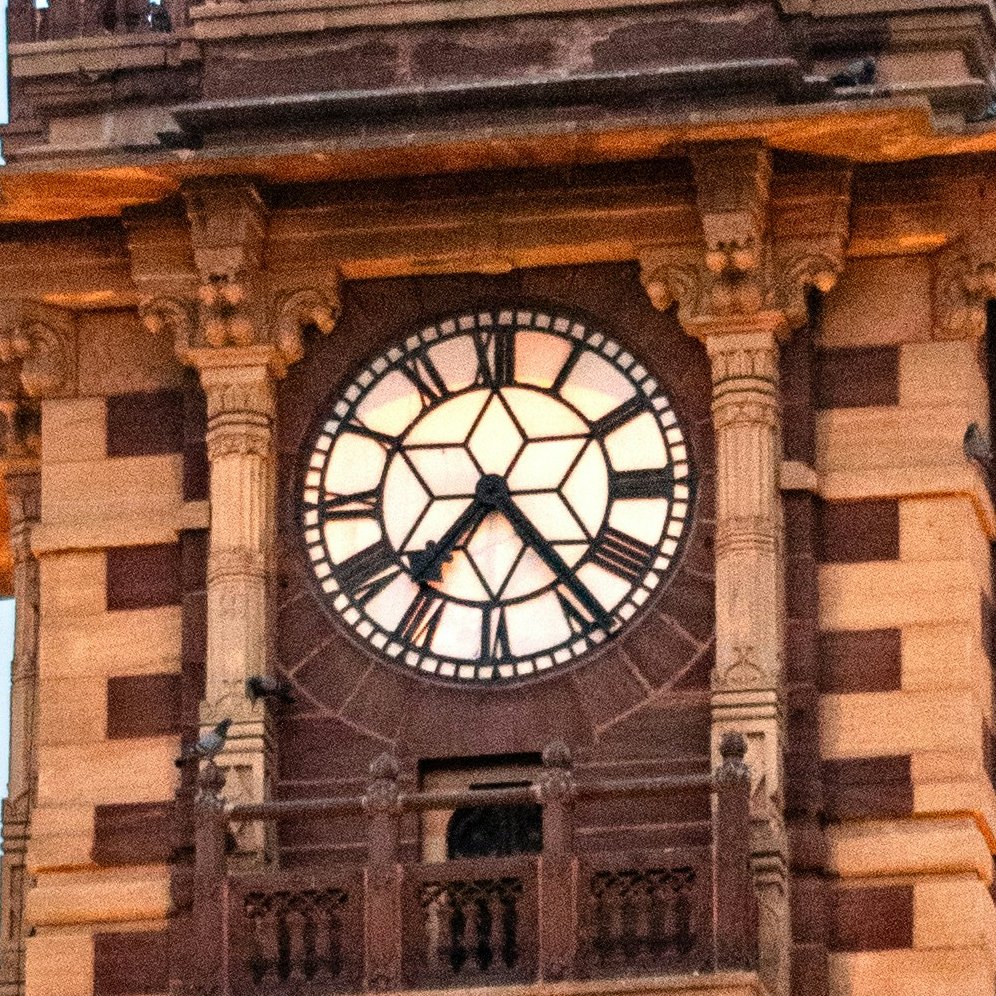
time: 7:23
